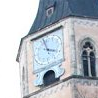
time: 3:57
